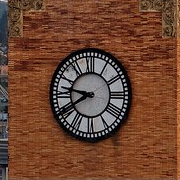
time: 7:46
